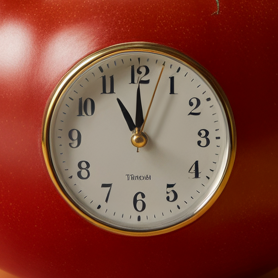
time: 10:59
